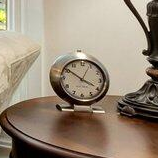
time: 3:50
